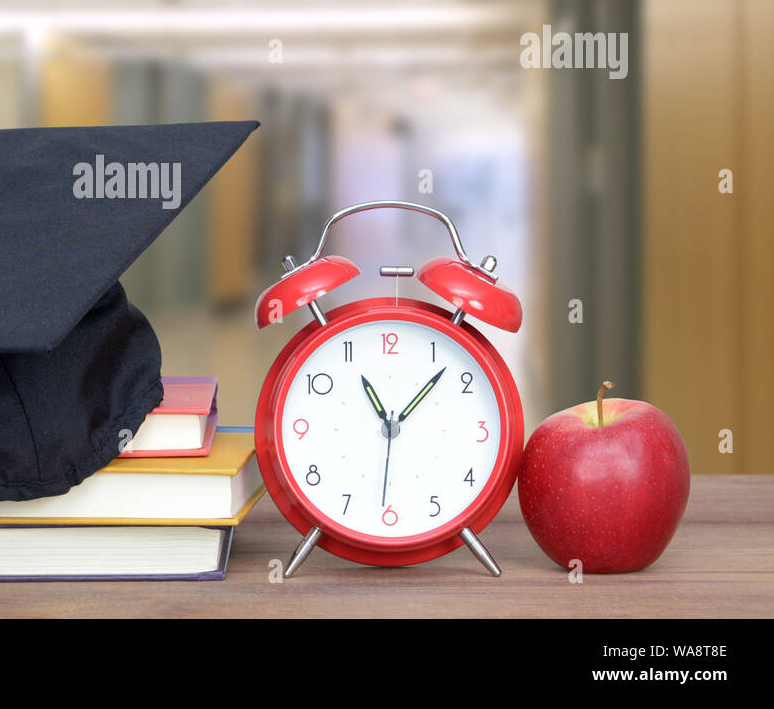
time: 11:07
